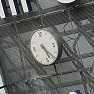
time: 5:23
